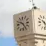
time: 9:25
